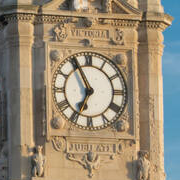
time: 6:55
